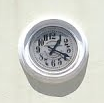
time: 1:18
